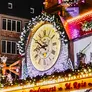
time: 8:49
